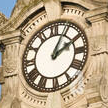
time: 2:04
